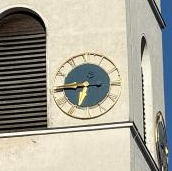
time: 6:45
